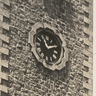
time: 11:11
